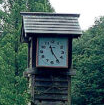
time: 11:24
